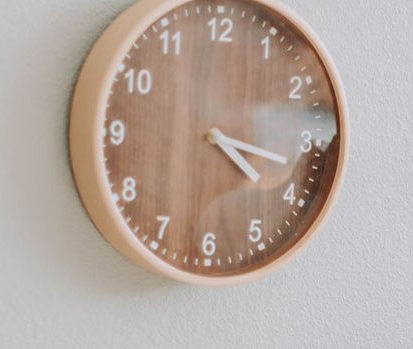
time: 4:17
